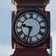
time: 9:33
